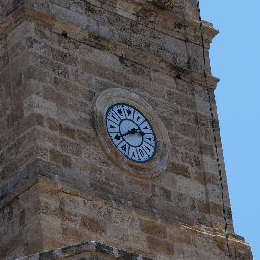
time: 2:40
